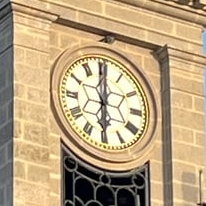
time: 5:59
